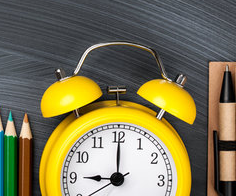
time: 9:00
